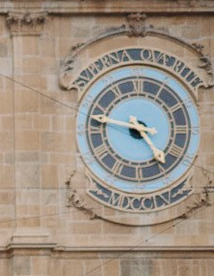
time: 4:46
